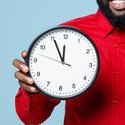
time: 11:55
